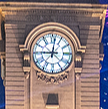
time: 9:01
